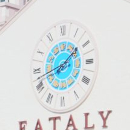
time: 8:09
